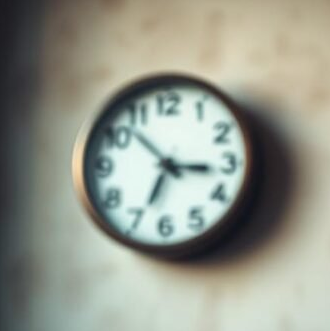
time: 6:52
